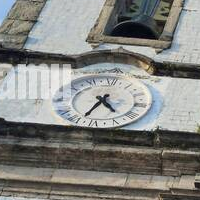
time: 4:34
